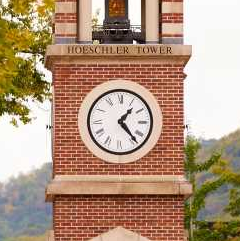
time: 1:23
